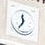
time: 11:35
